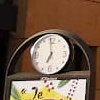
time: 6:59
